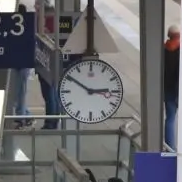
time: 2:50
